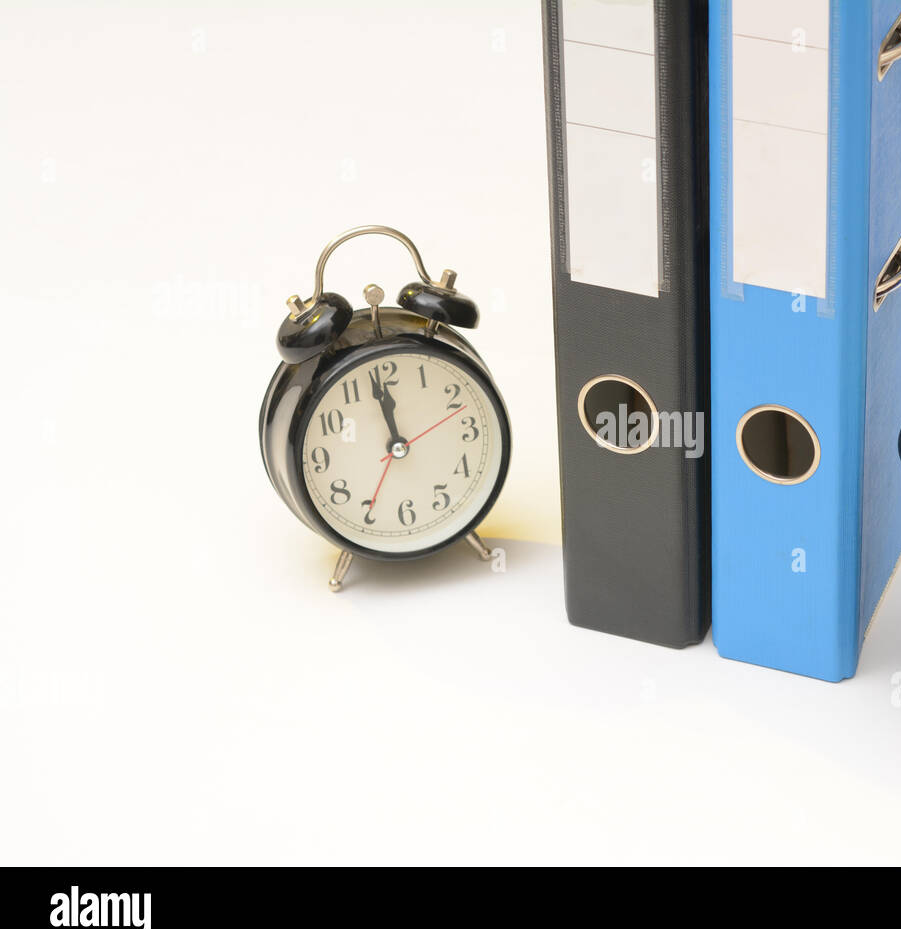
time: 11:58
